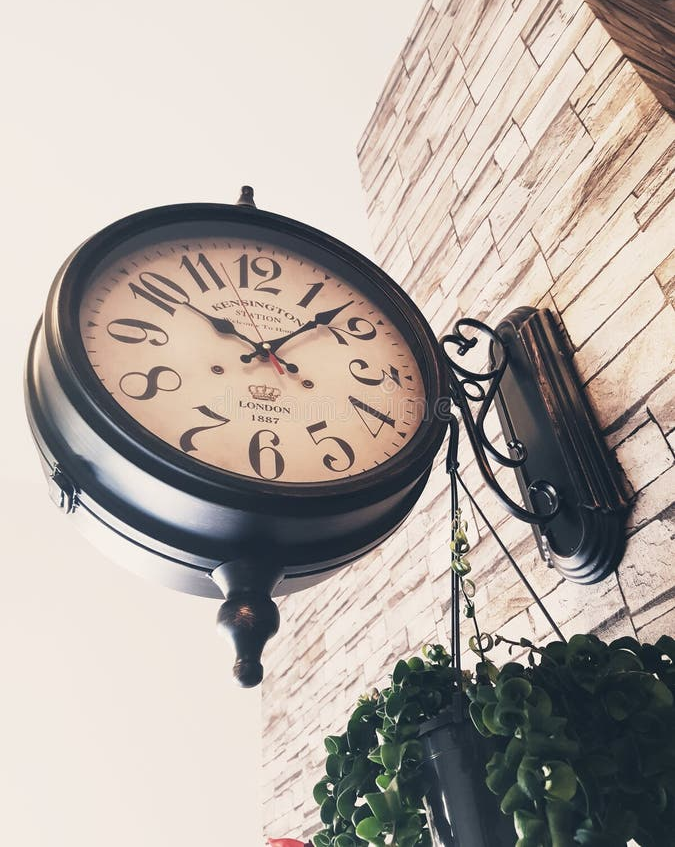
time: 10:07
